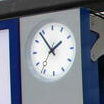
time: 1:53
